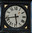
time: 5:42
